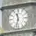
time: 11:32
